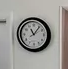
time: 11:06
